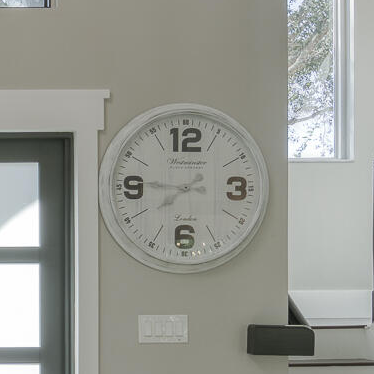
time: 7:45
